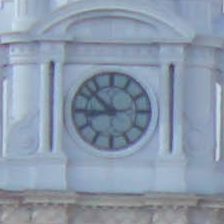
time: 8:52
